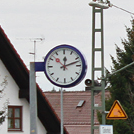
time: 12:12
